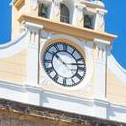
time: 10:13
